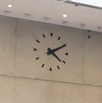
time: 4:10
